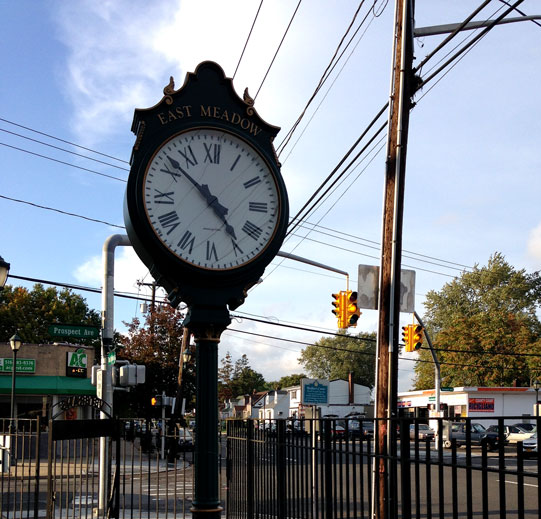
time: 4:52
